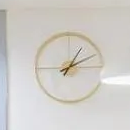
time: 1:10
